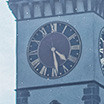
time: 4:28
